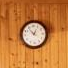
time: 12:53
